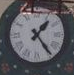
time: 1:24
